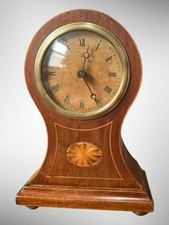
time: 12:24
